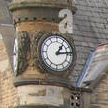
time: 1:13
